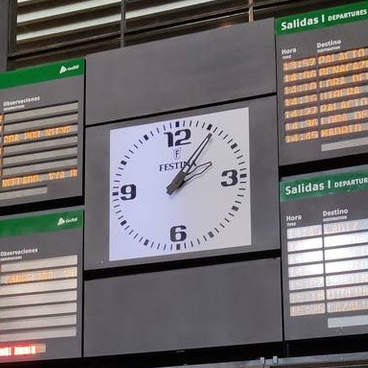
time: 2:06
